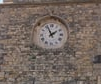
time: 1:56
